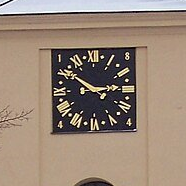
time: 2:50
